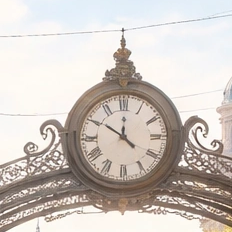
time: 11:50
